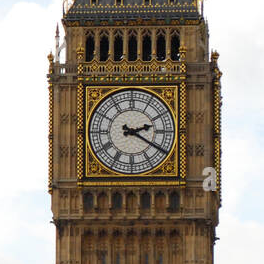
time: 2:20
